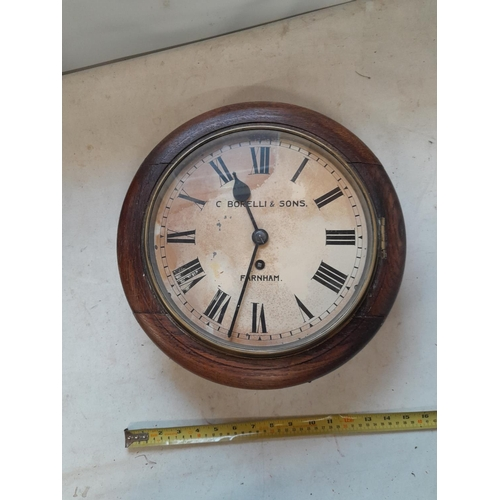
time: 11:32
